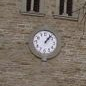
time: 1:06
